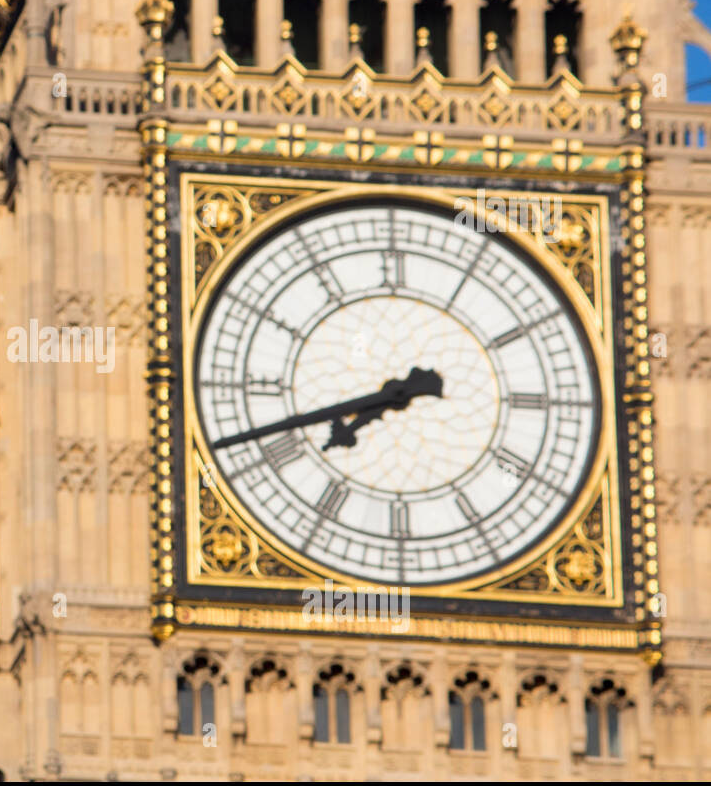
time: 7:41
